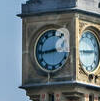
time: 8:44
